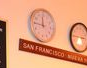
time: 11:45
